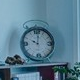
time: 10:01
